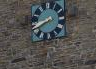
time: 8:40
